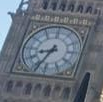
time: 8:34
